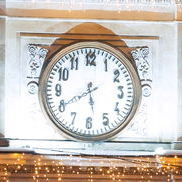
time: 5:40
